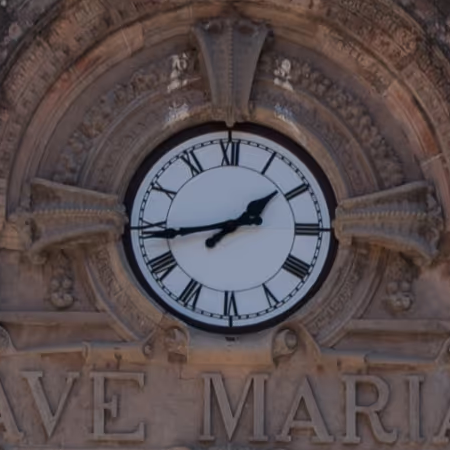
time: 1:43
